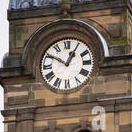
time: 12:50
